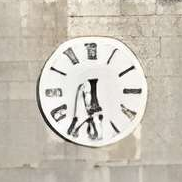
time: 5:31
